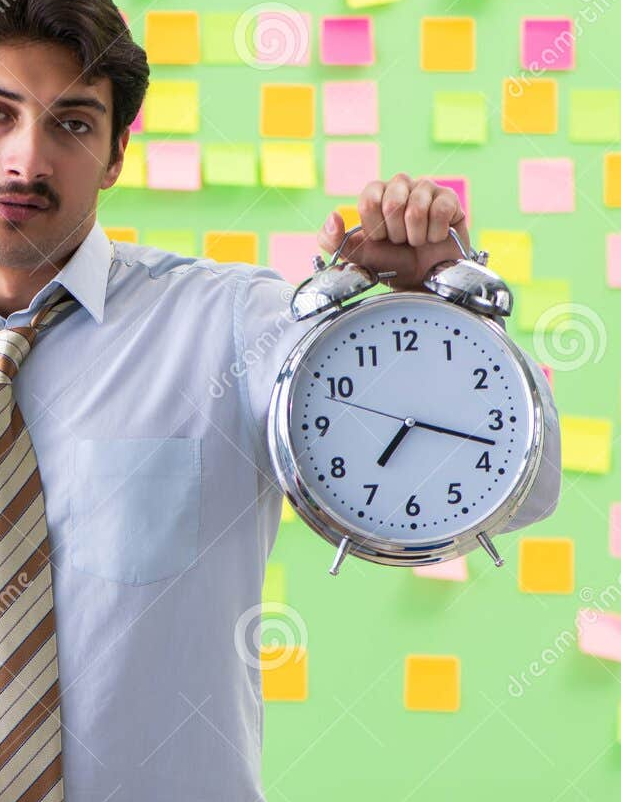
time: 7:17
